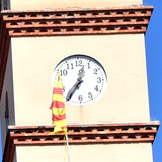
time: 12:35
